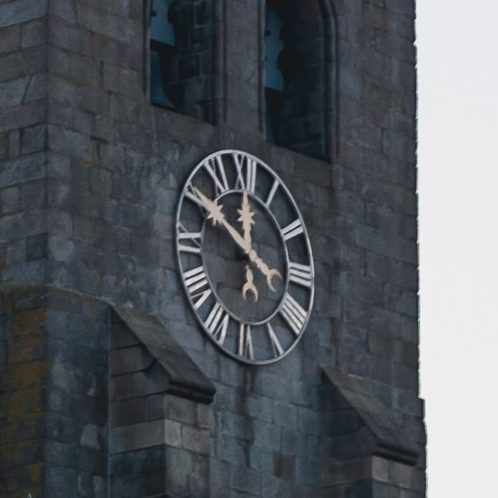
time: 11:50
